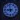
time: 8:58
